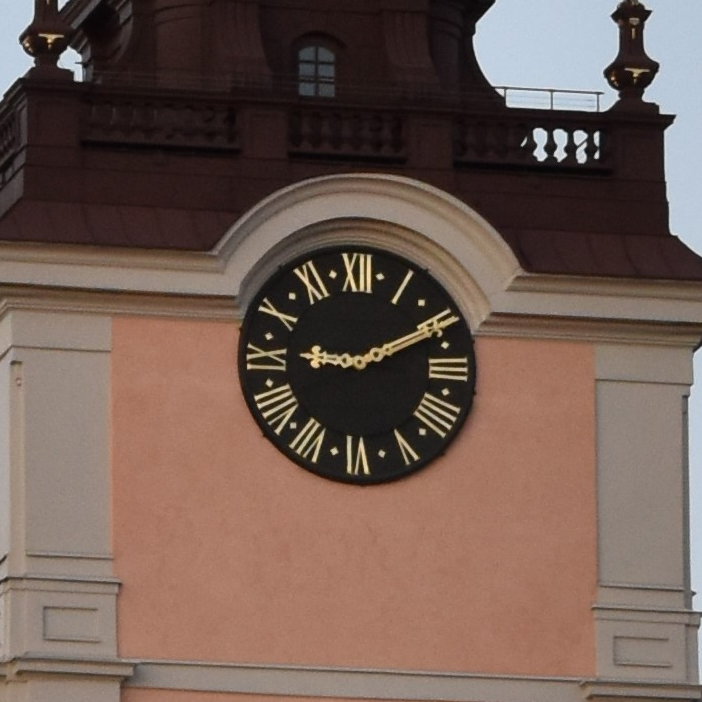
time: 9:10
